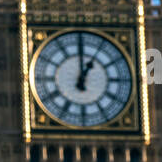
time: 1:00
